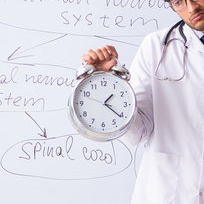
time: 1:21
